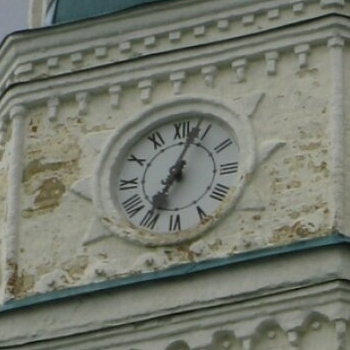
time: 7:03
